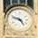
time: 4:48
